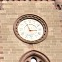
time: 2:56
